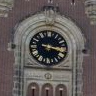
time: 3:17
